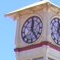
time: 12:24
